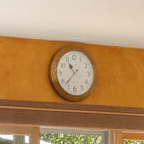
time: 10:37
